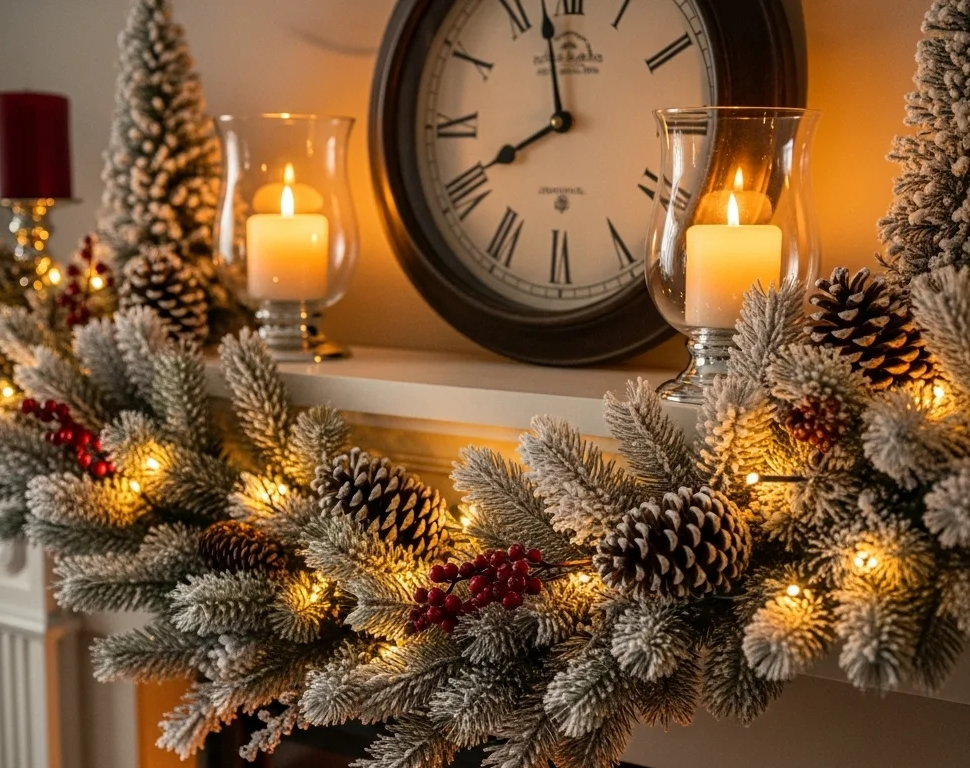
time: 7:58
